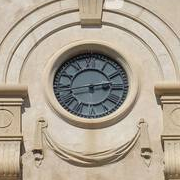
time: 2:43
